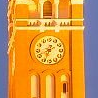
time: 8:34
